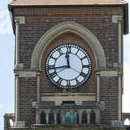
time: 11:43
